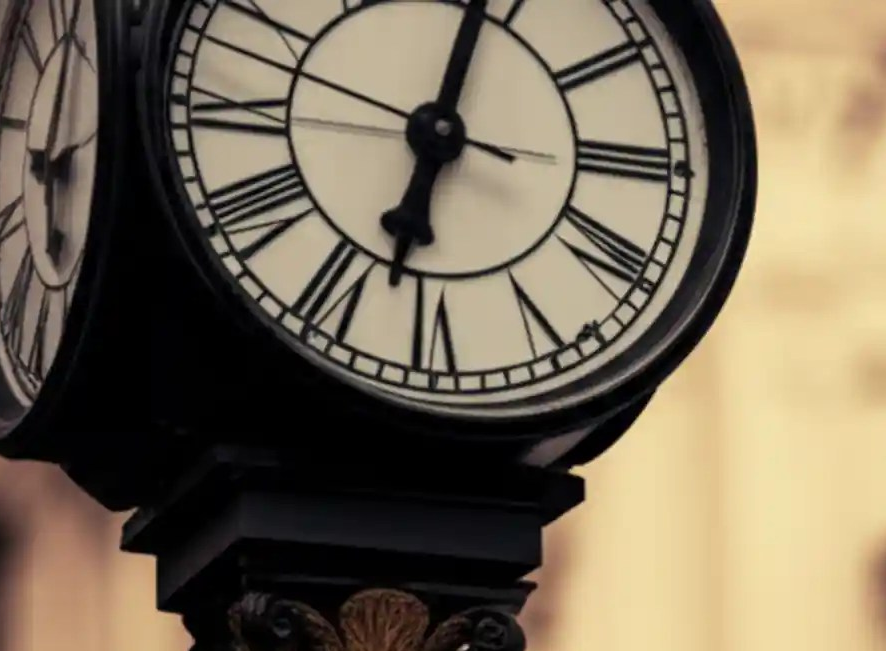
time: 12:32
